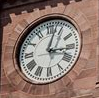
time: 3:02
